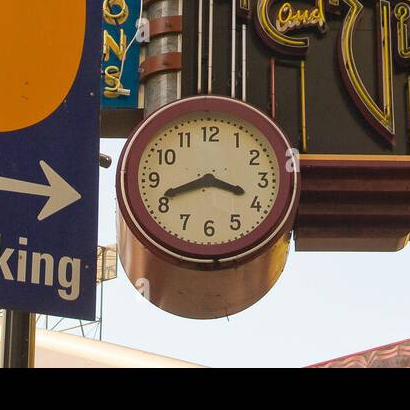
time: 3:41
